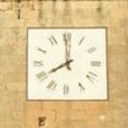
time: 7:59
